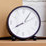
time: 8:05
